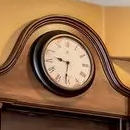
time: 9:31
